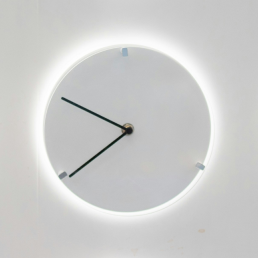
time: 7:49
